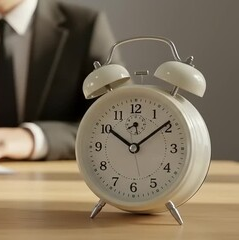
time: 10:08
